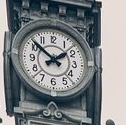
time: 1:51
